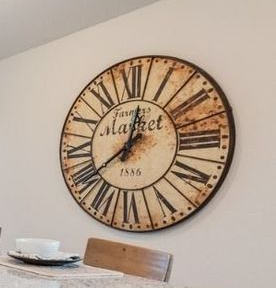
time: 12:39
